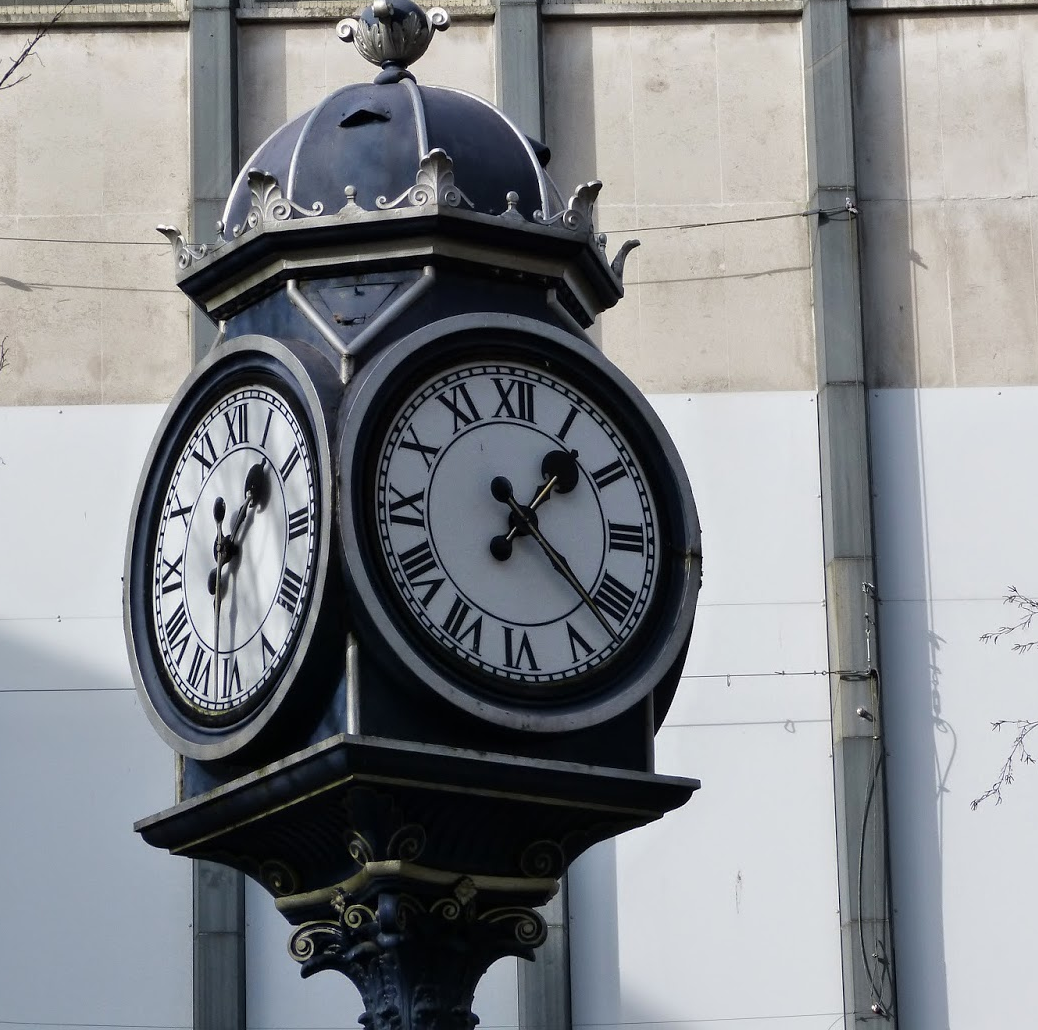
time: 1:22
